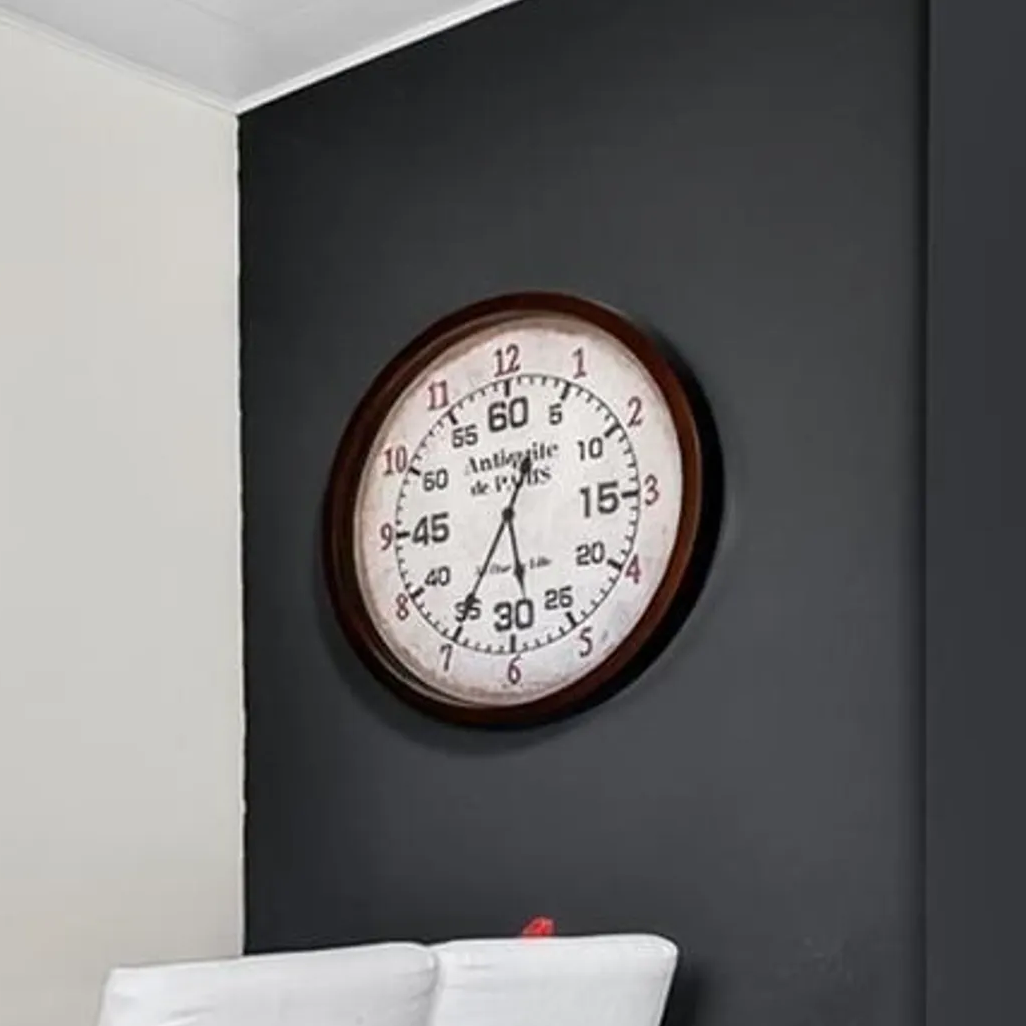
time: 12:34
